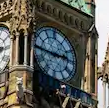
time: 2:45
